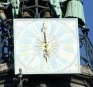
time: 5:59
